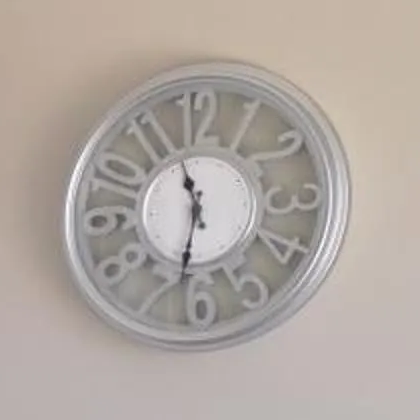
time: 11:32
